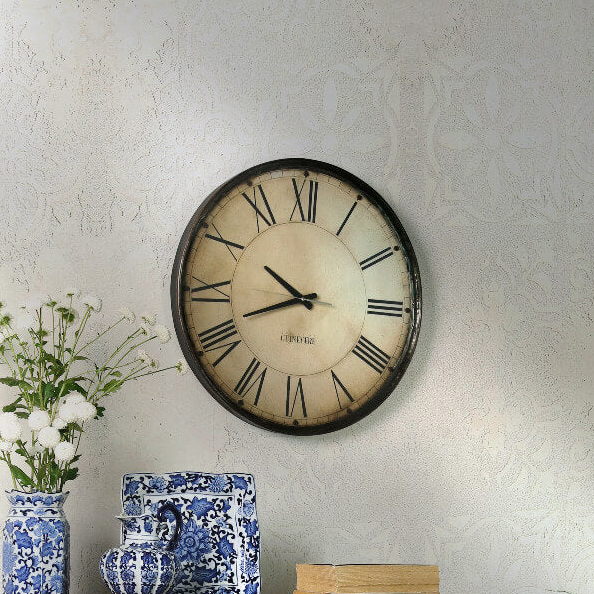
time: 9:41
